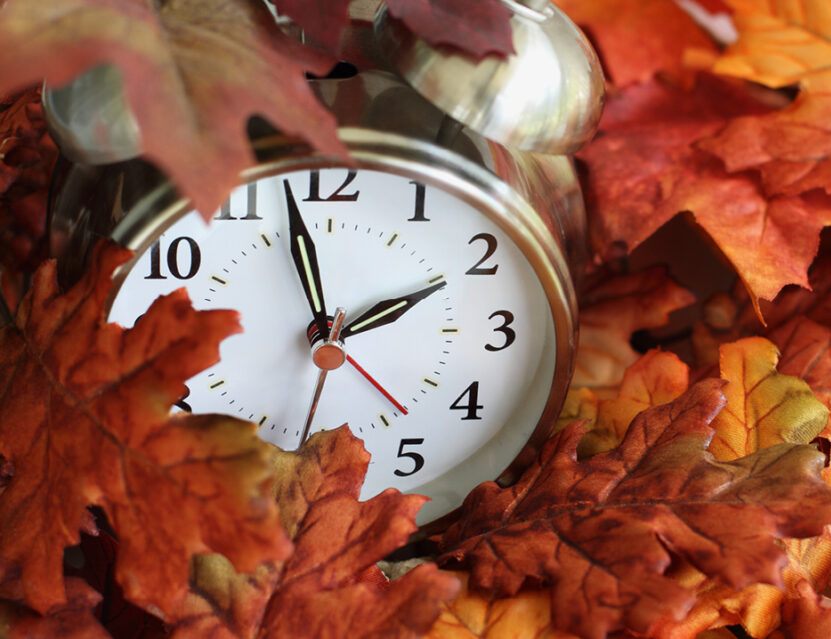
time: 1:57
